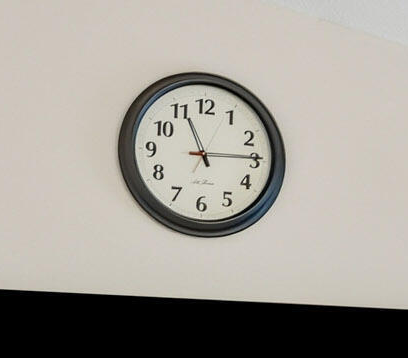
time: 11:14
